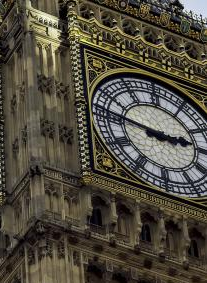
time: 2:46
